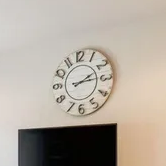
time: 2:14
